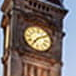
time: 7:09
